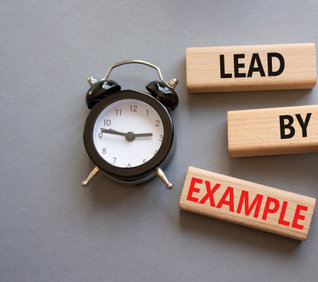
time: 2:46
